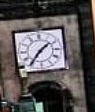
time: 1:36
